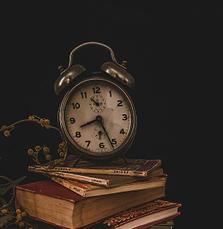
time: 8:25
